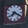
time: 7:19
